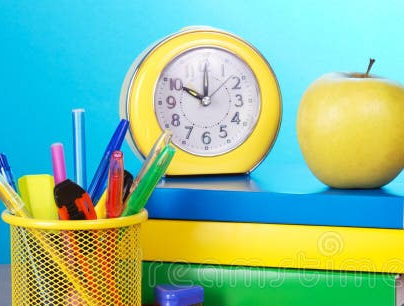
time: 10:00
